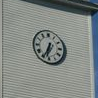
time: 6:34
